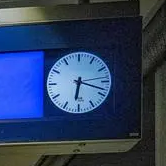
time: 6:18
